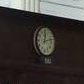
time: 12:12
